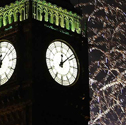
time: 12:08
